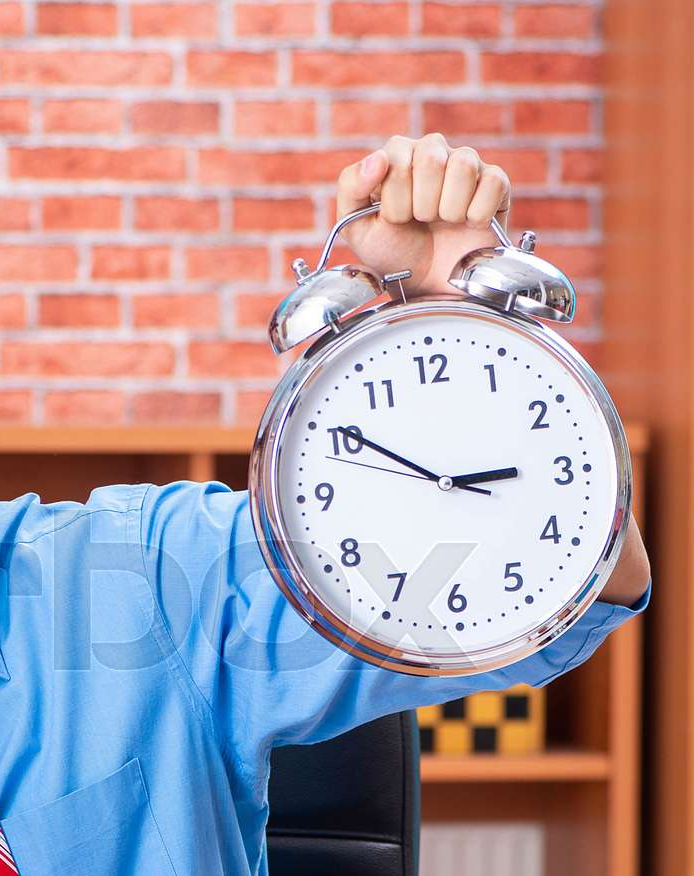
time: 2:50
